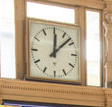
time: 12:07
